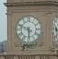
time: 5:48
